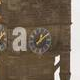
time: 12:07
